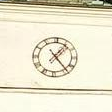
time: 1:23
